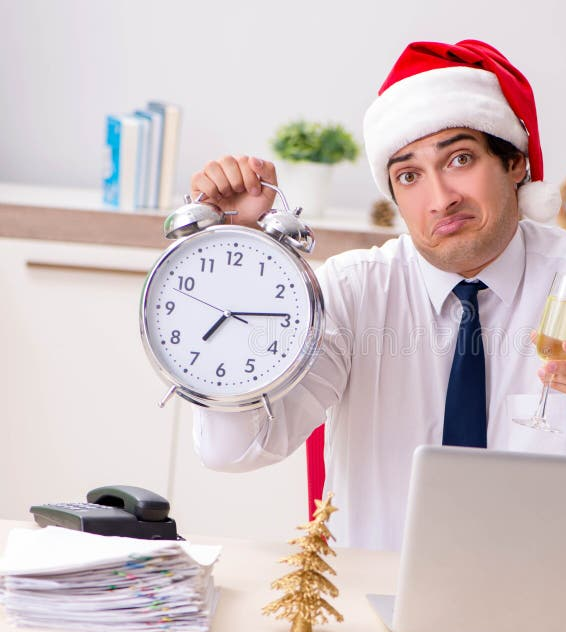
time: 7:14
